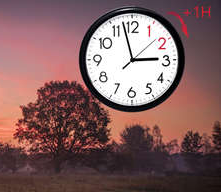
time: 2:57
